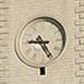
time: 9:25
